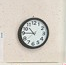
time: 10:45
